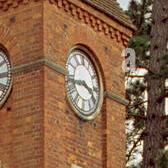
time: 3:43
